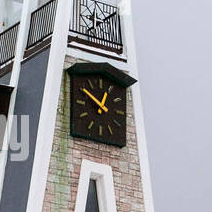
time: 12:50
